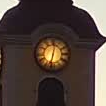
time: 12:32
